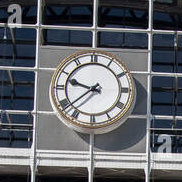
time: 9:38
